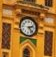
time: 2:23
